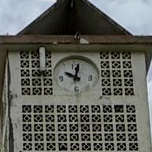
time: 10:02
